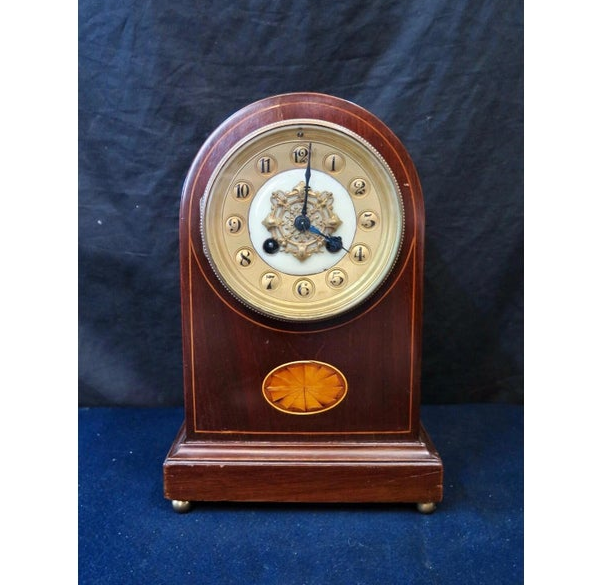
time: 4:01
